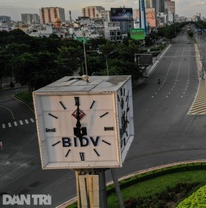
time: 5:00
